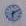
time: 6:10
